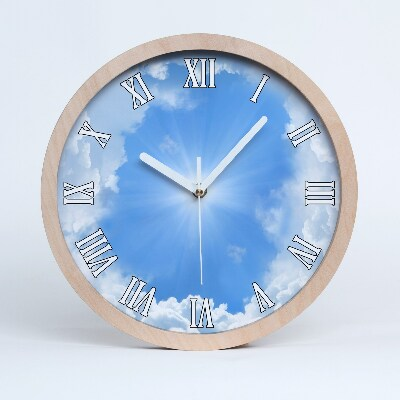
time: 10:07
